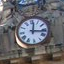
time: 12:16
